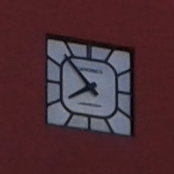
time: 7:52
